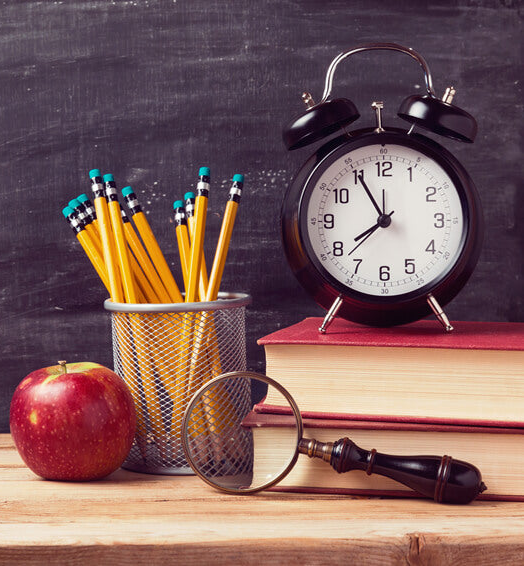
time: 7:55
